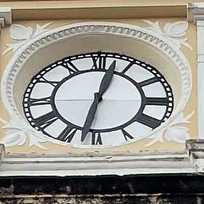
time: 12:32
